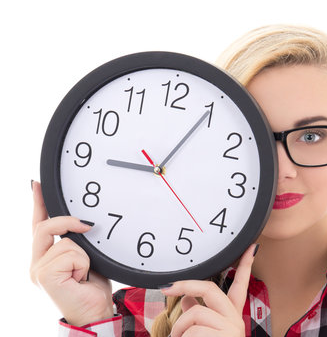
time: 9:05
